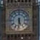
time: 5:31
